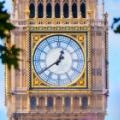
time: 12:39
